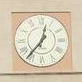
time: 12:36
